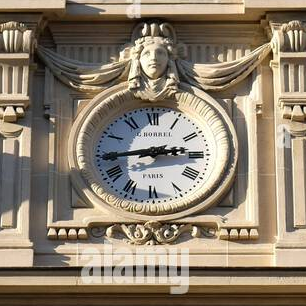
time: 2:44
